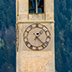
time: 1:22
